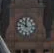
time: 11:50
